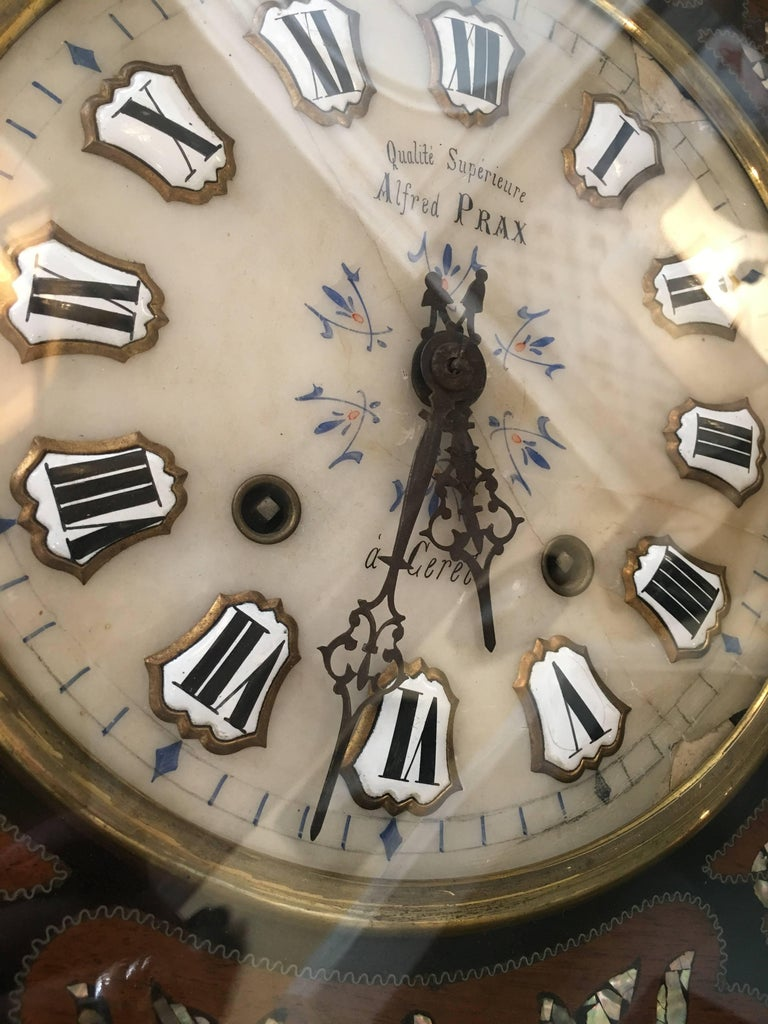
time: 5:31
